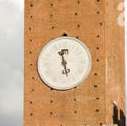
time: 5:27
